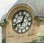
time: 12:41
